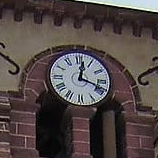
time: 12:18
